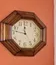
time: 11:46
